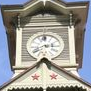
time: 2:40
